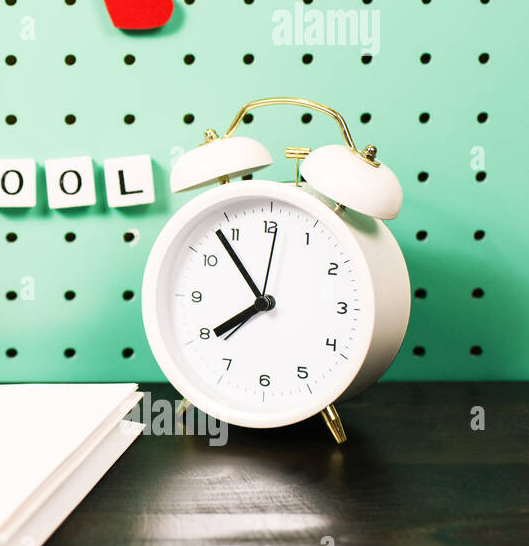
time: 7:53
